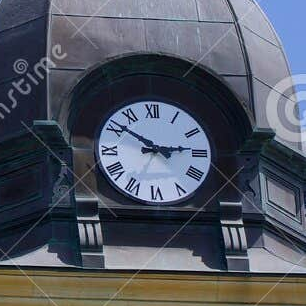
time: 2:50
